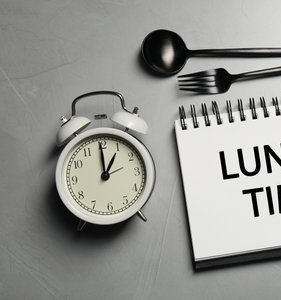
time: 1:00
